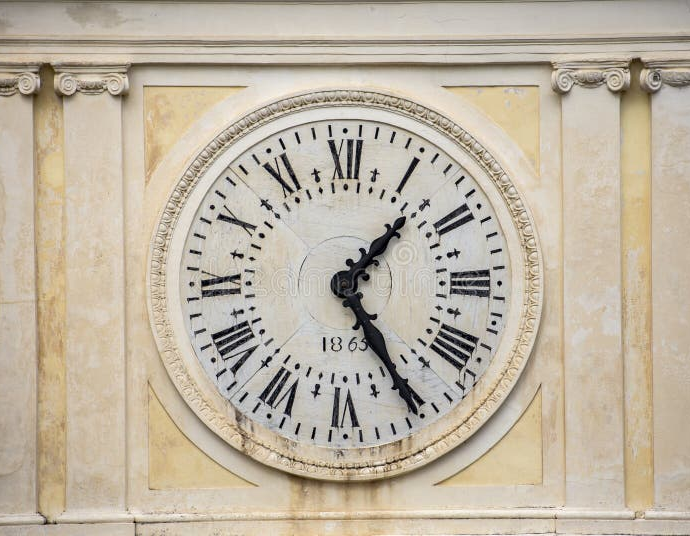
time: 1:24
